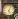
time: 5:03
